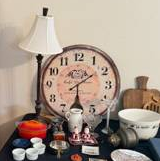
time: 6:09
